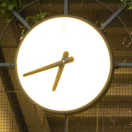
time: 6:41
